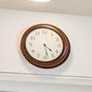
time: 4:28
